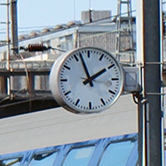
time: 1:57
